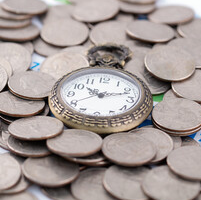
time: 10:12
